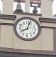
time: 8:03
